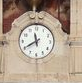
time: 11:40
